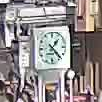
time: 1:22
